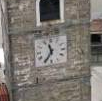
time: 11:35
